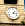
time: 1:16
